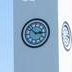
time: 2:52
